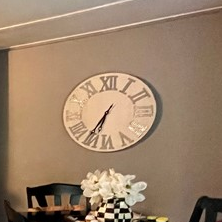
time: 6:35
